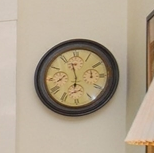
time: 5:57
